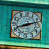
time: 8:12
